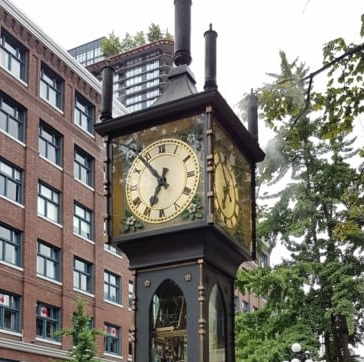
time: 6:53
